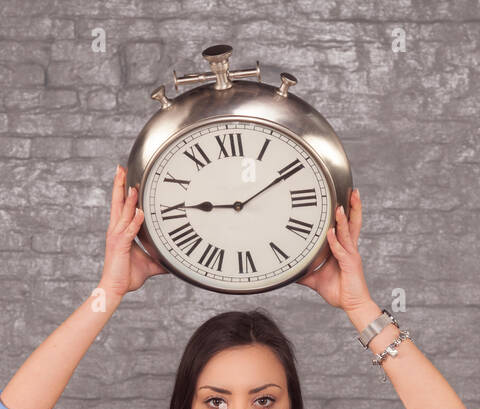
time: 9:10
